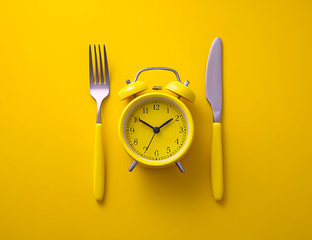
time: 1:50
